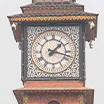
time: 1:18
